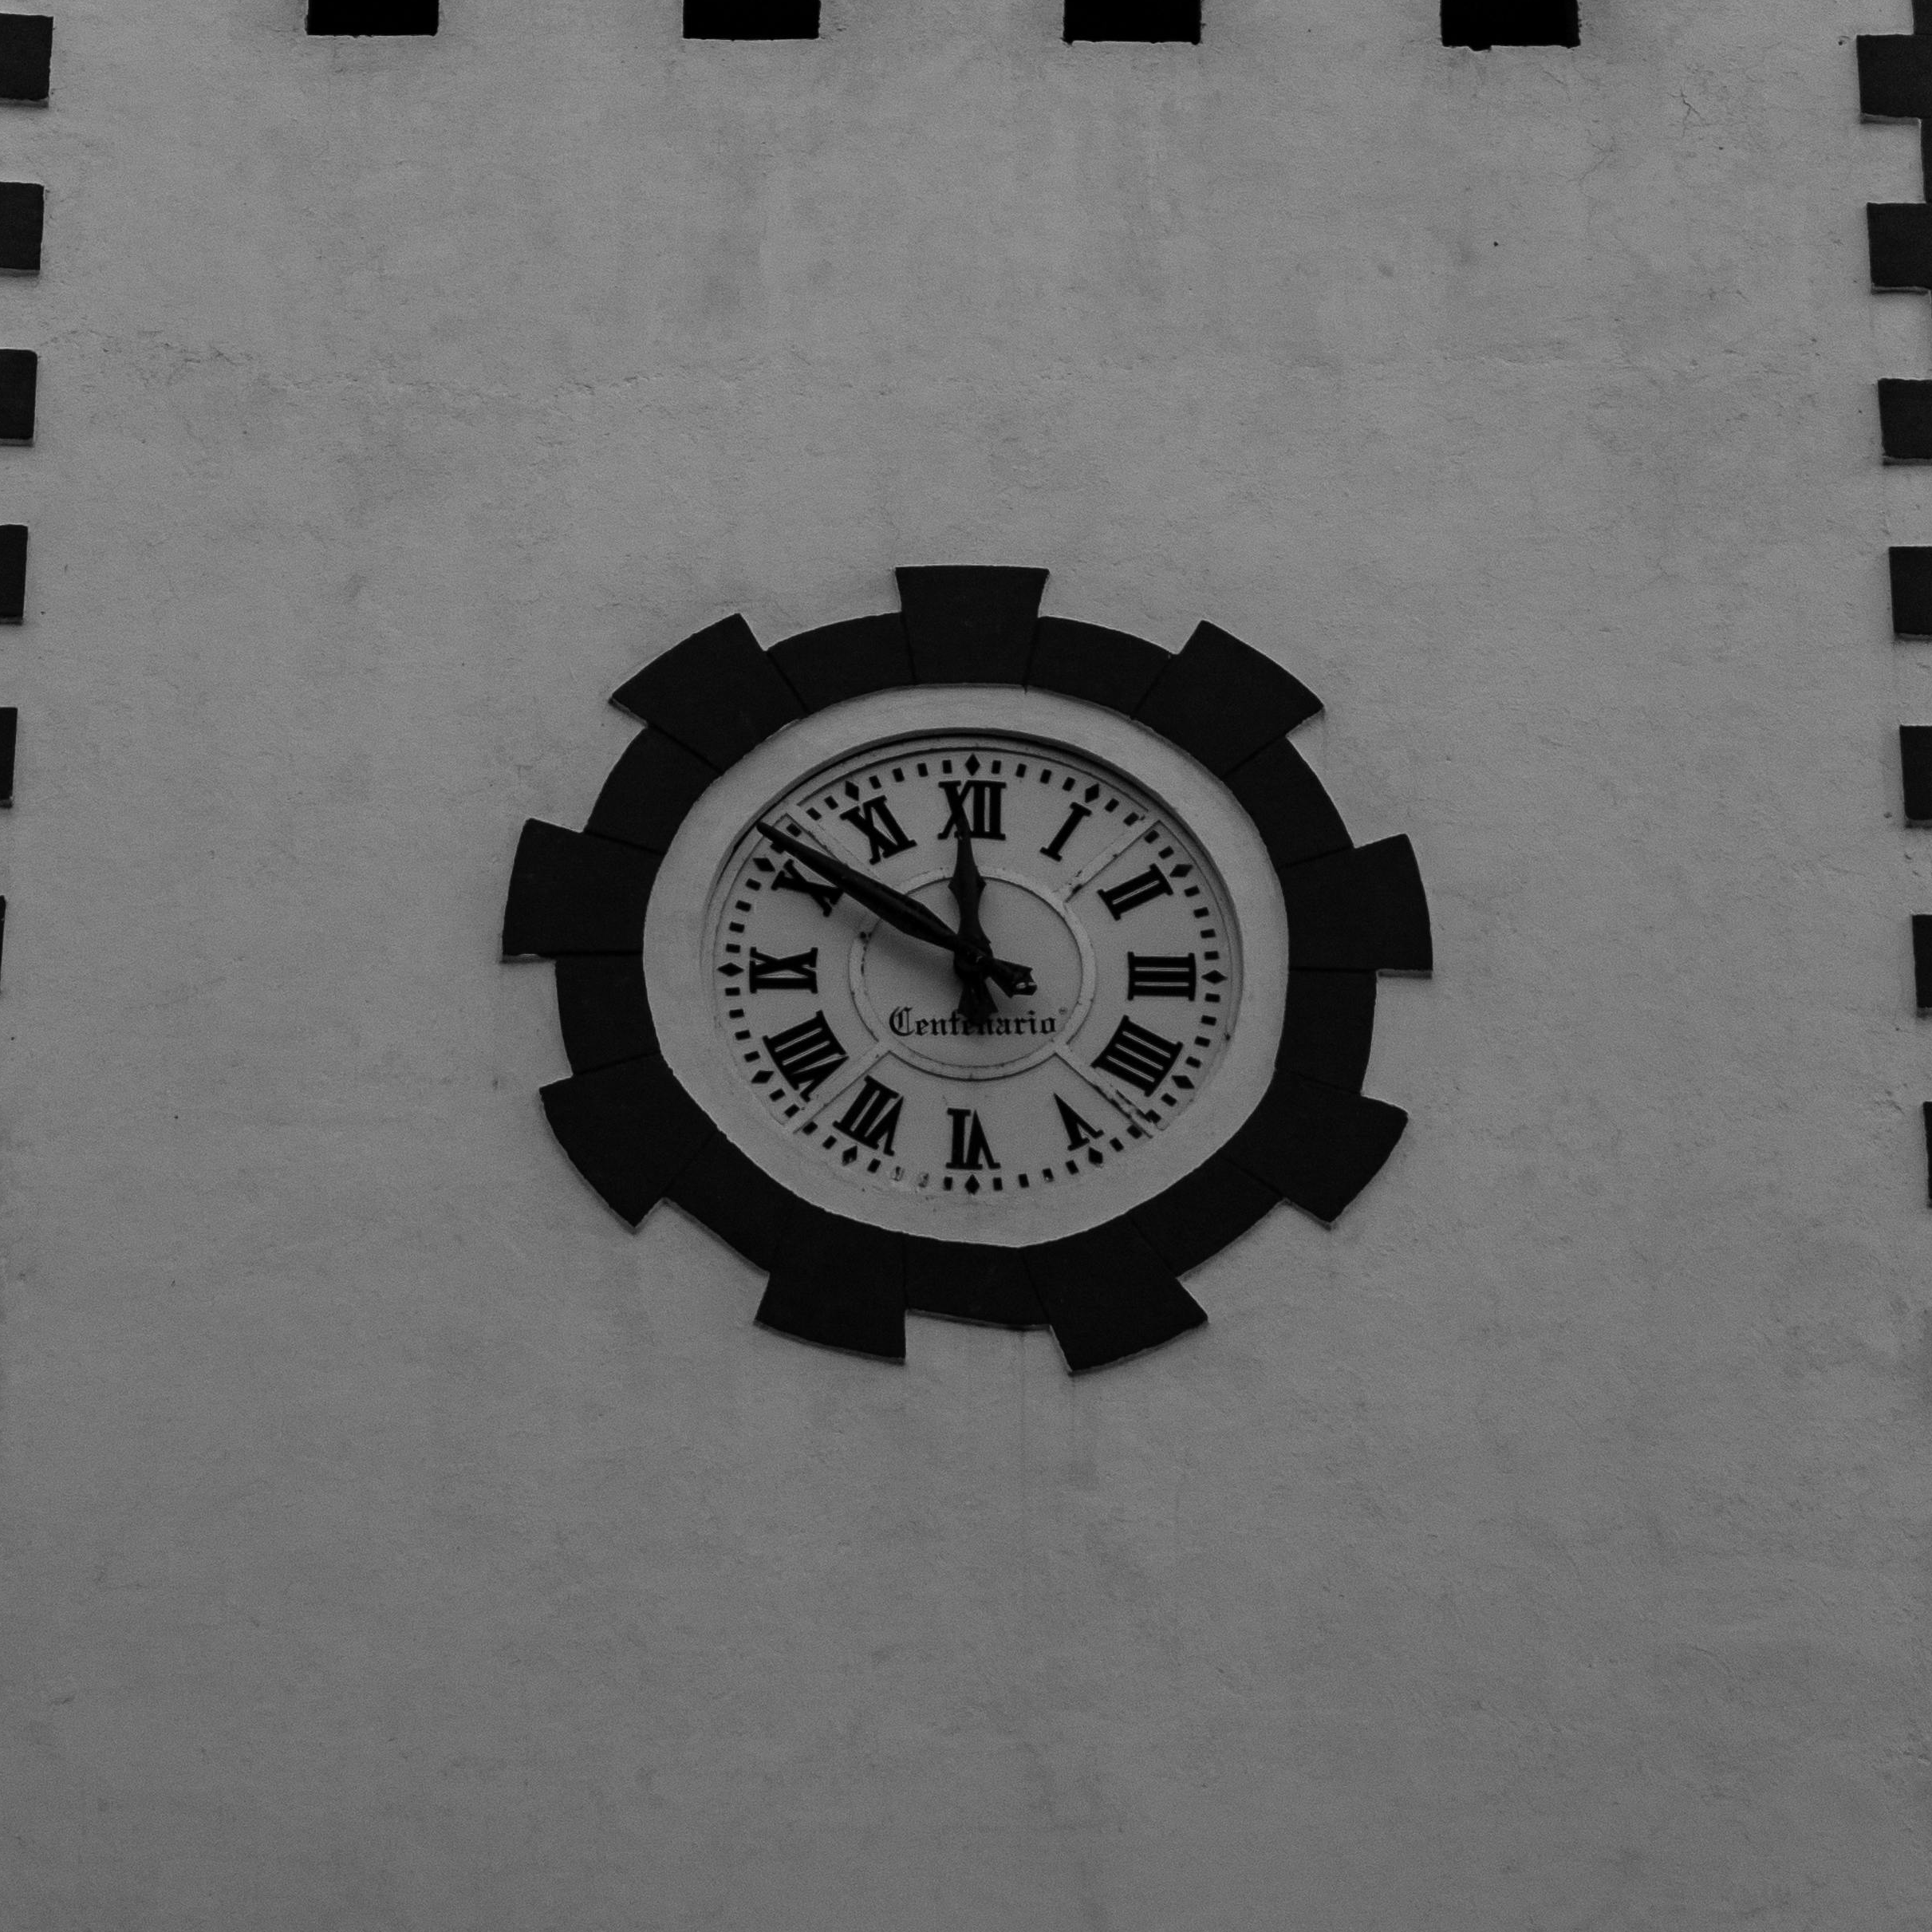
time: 11:50
